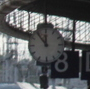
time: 11:53
